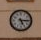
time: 5:15
